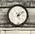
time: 5:09
